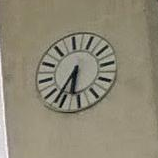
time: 6:36
